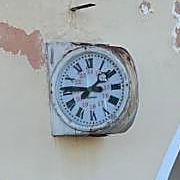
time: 1:46
